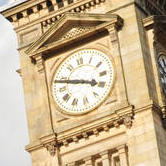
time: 3:48
